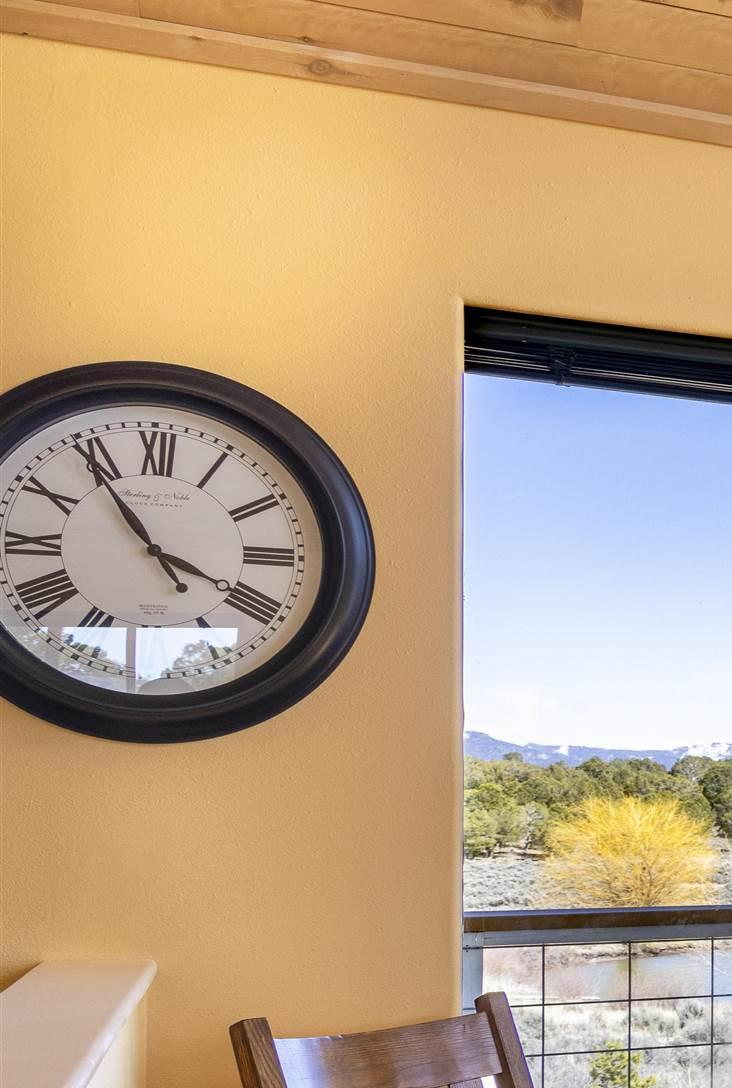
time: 3:54
